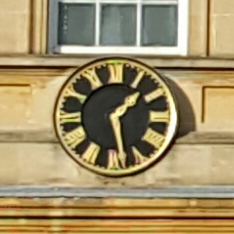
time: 1:28
